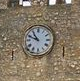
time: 10:48
